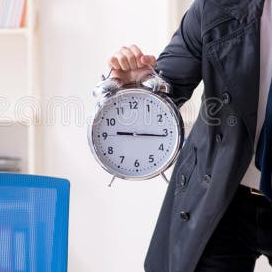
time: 9:16
